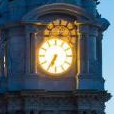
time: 6:34
